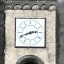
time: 2:41
